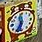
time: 11:35
